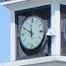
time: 11:49
